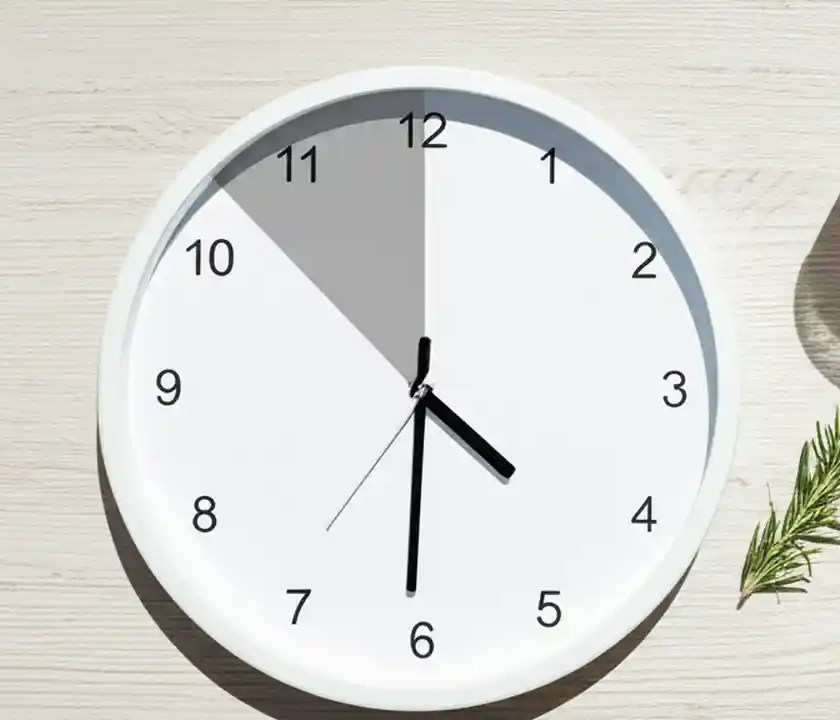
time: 4:30
